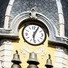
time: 6:05
